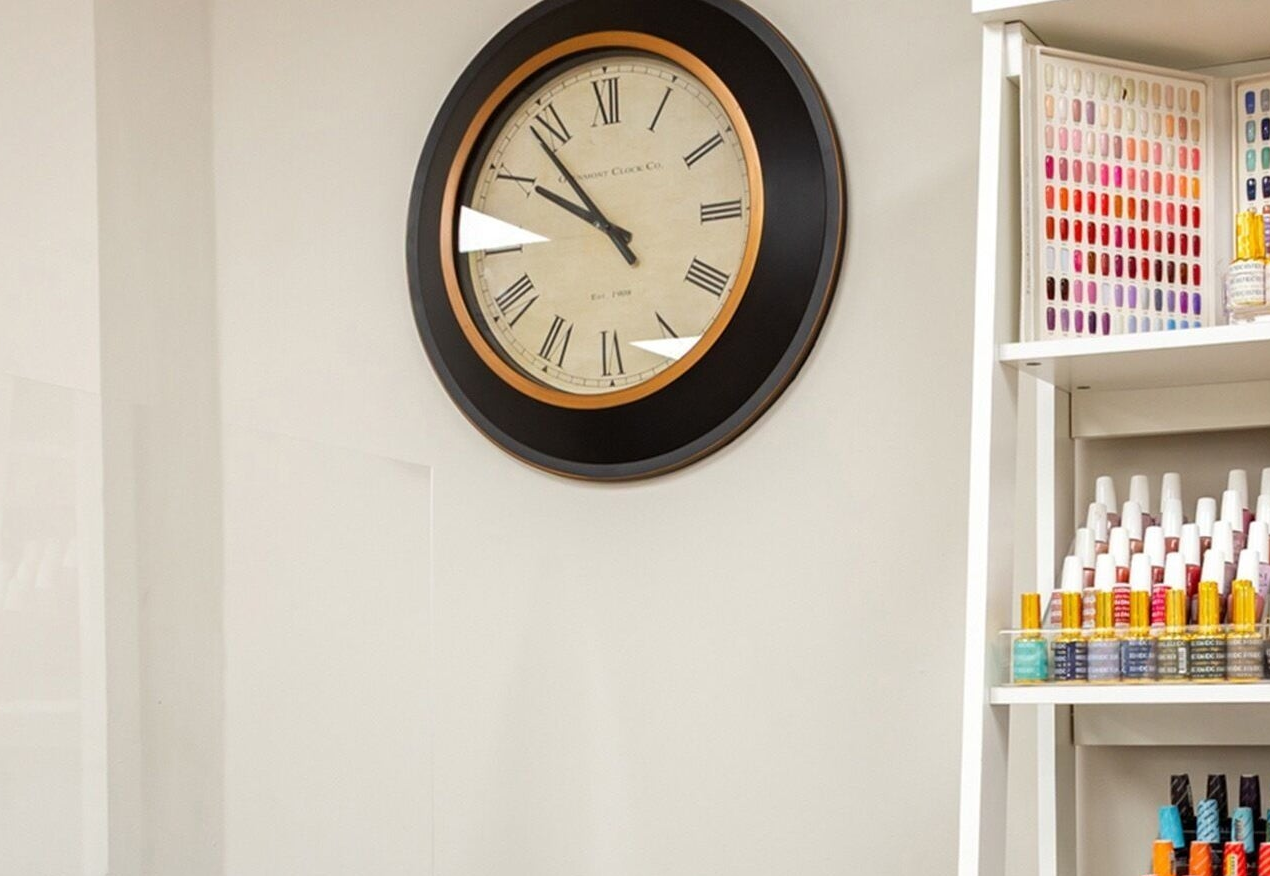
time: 9:53
